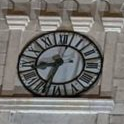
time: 8:33
